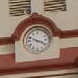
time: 3:48
